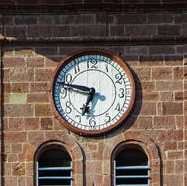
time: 6:47
